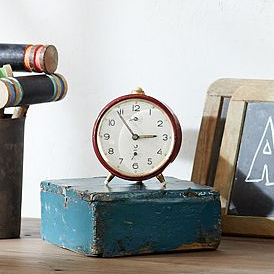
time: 2:54
